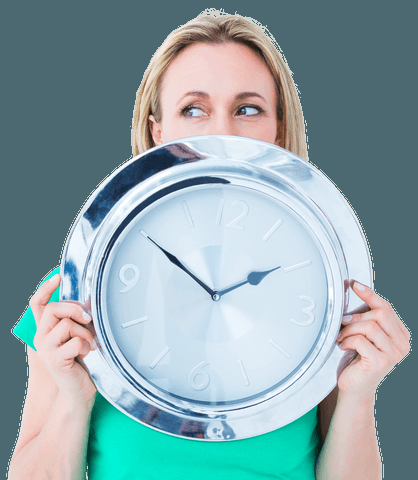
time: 1:50
